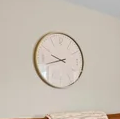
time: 9:42
